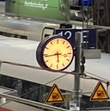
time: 5:43
